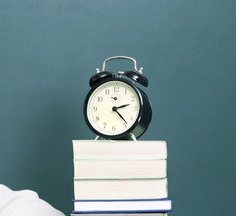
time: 2:22
